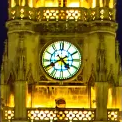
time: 4:40
